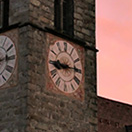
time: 9:14
